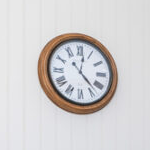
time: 12:22
